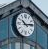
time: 10:13
